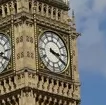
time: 3:20
